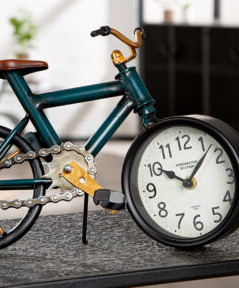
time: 10:07
